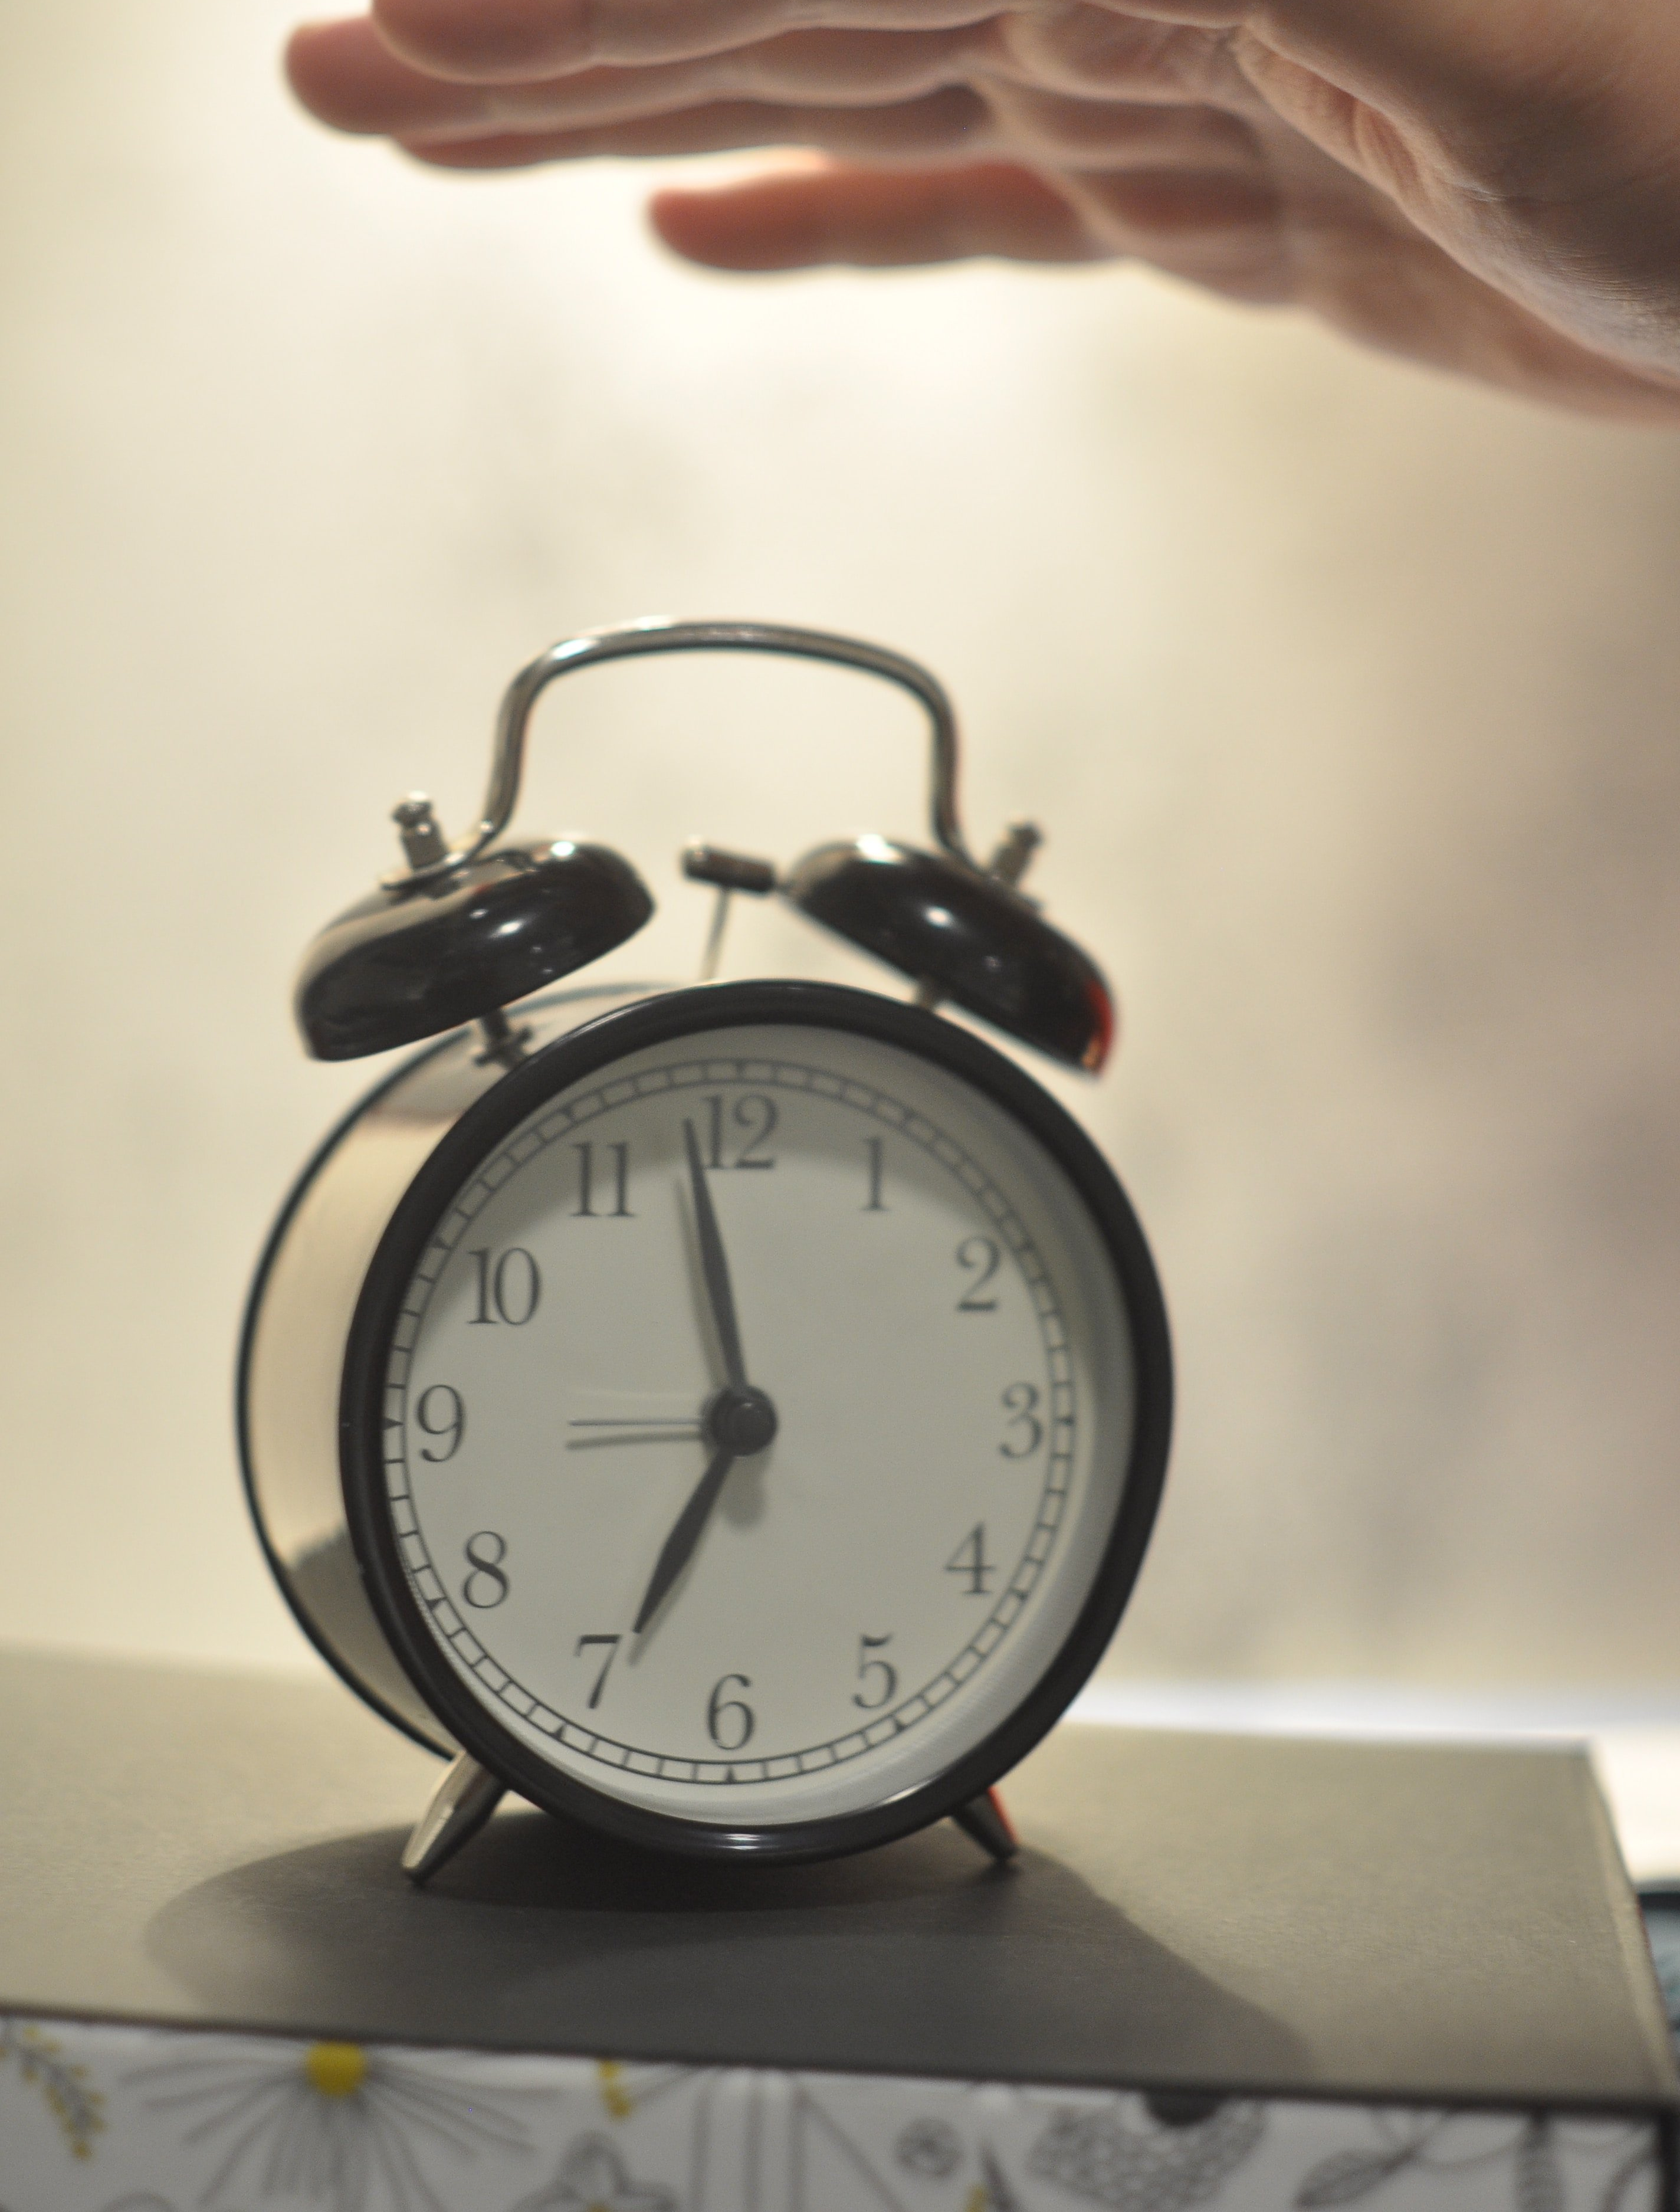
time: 6:58
